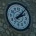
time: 2:07
